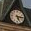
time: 5:15
